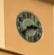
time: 2:38
